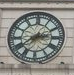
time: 2:38
